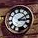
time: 3:09
